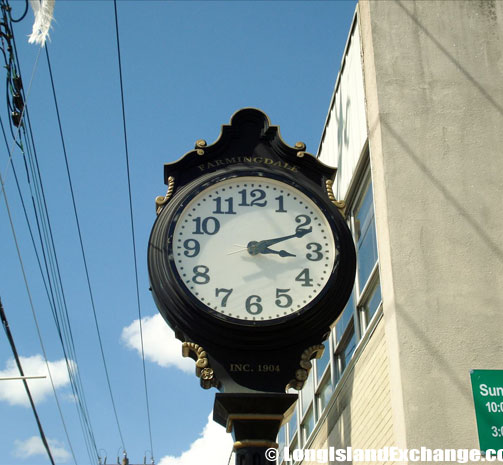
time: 3:11
